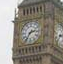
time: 2:36
